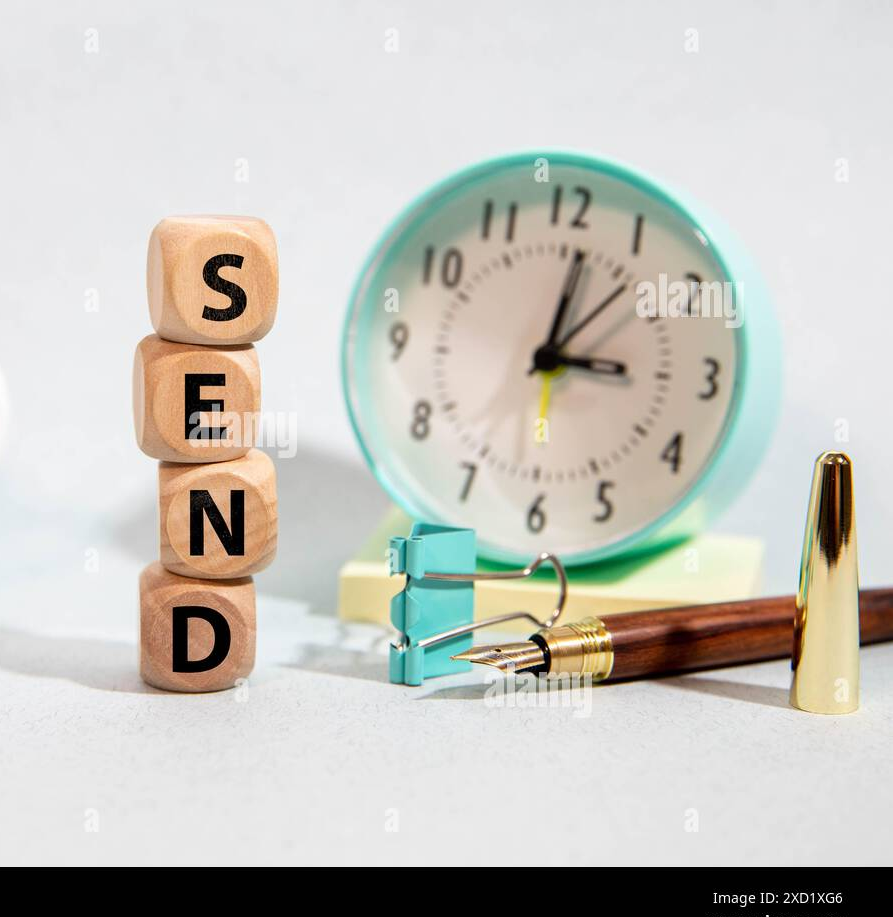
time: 3:01
